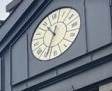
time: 10:34
